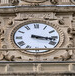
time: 3:17
